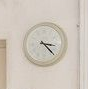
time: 3:22
